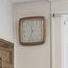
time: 11:32
